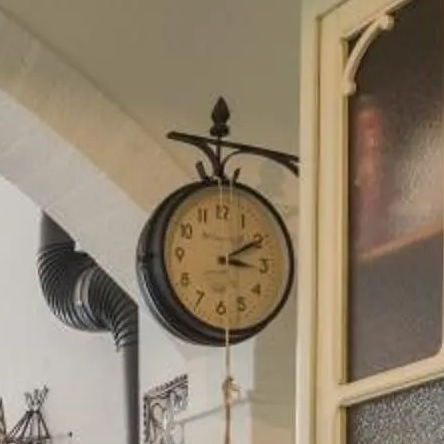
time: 3:10
